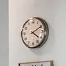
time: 4:10
